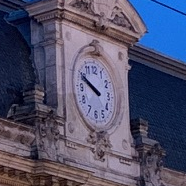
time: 9:49
